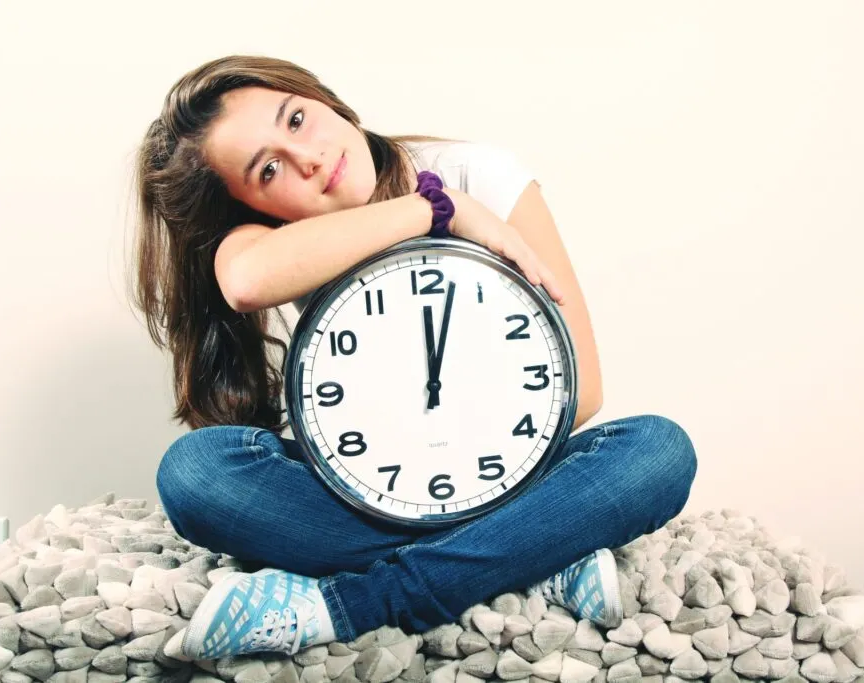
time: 12:02
